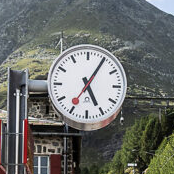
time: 5:05
